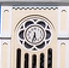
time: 5:32
